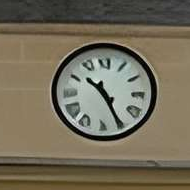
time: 10:25
